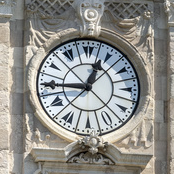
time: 12:45
